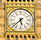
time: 5:37
